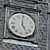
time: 4:59
